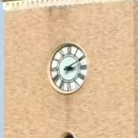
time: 3:10
